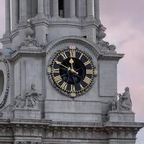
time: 11:49
